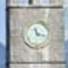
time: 11:17
